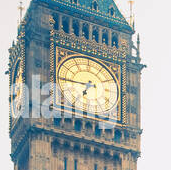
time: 6:44
